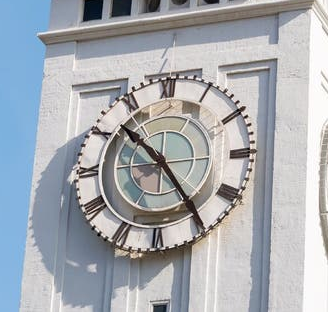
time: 10:24
